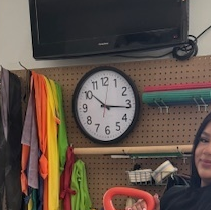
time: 10:15
